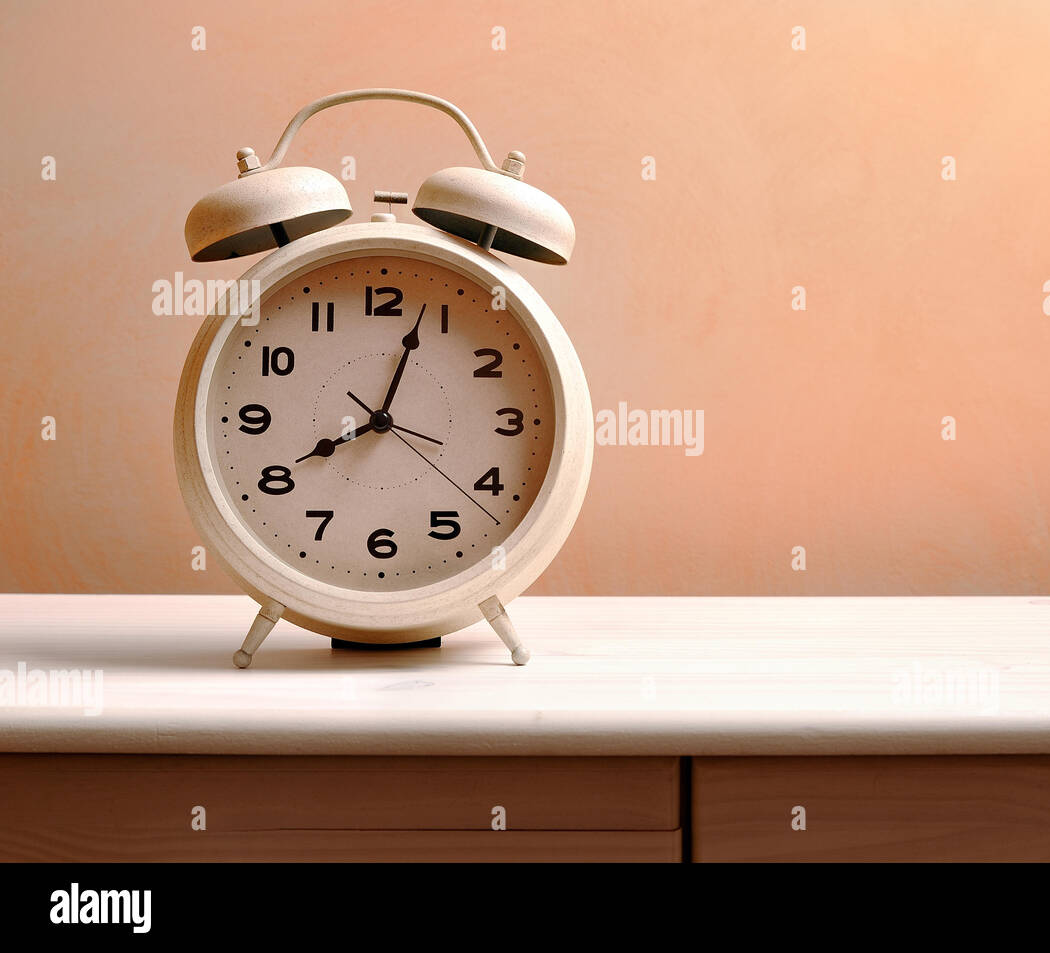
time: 8:03
